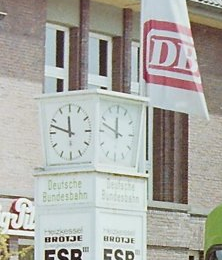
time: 11:48
